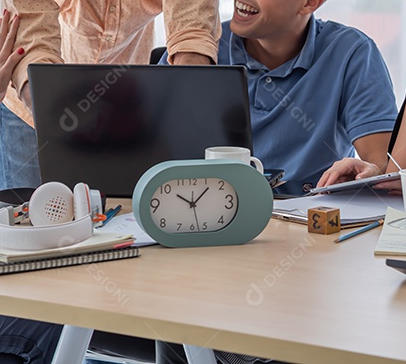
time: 11:07
